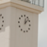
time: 12:07
